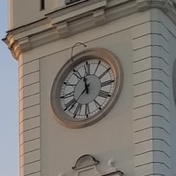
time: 11:37
